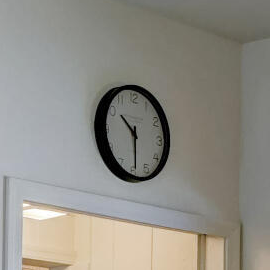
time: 10:29
